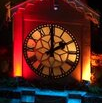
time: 1:59
